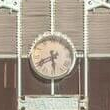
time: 5:40
